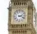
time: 2:18
